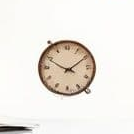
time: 1:49
